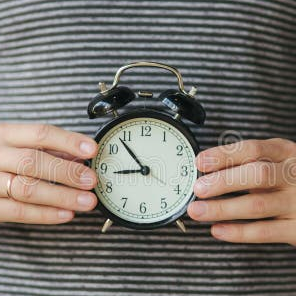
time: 8:53
